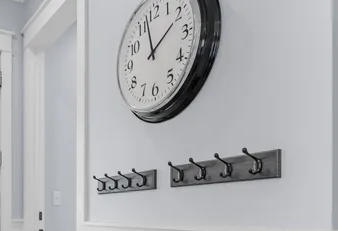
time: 1:57
